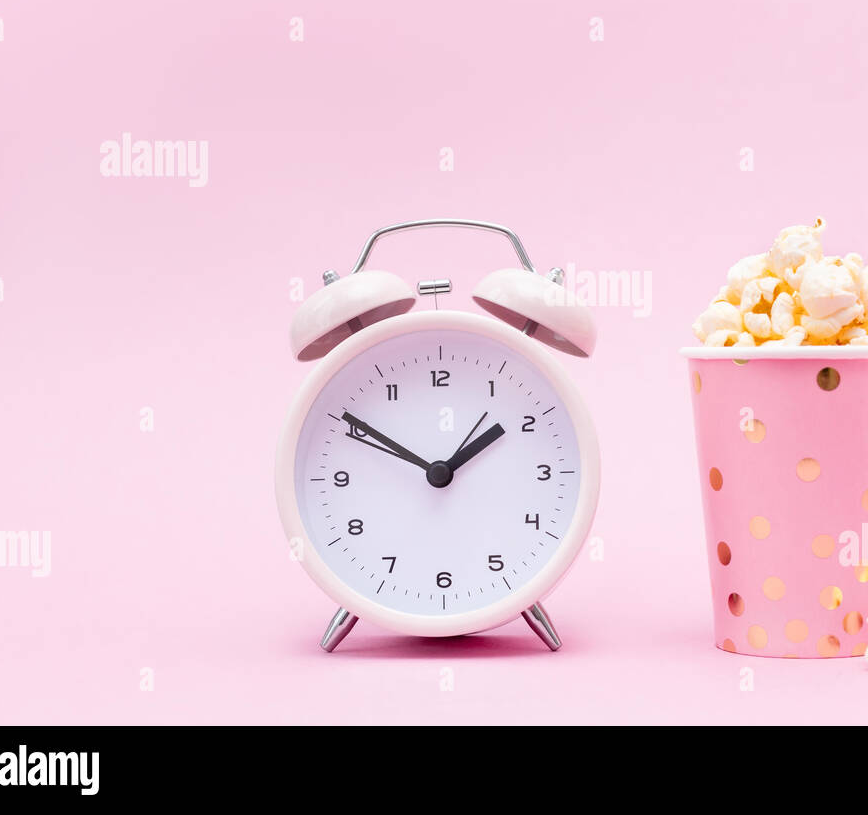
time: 1:50
